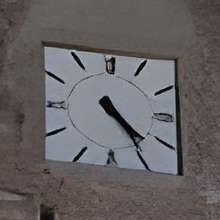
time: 4:24
